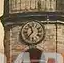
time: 11:36
